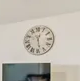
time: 12:28
